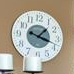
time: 1:18
